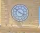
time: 3:51
